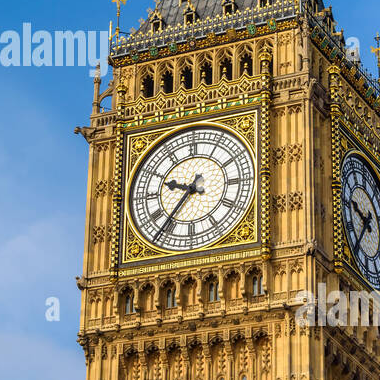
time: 9:36
